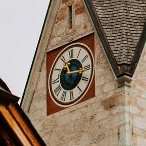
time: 11:16
